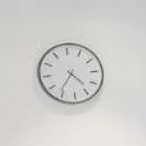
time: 4:36
